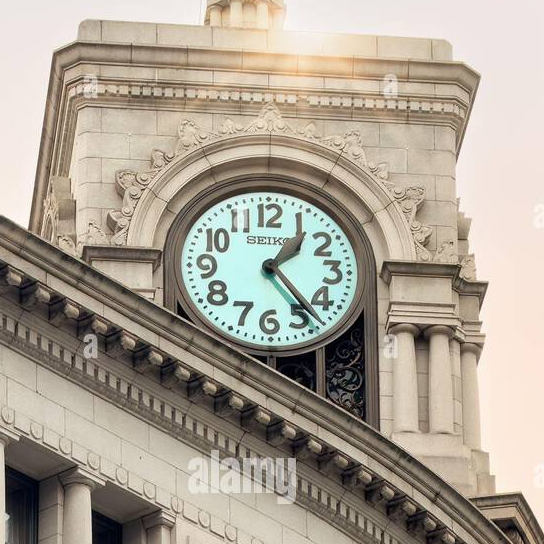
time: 1:23
